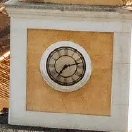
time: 7:12
